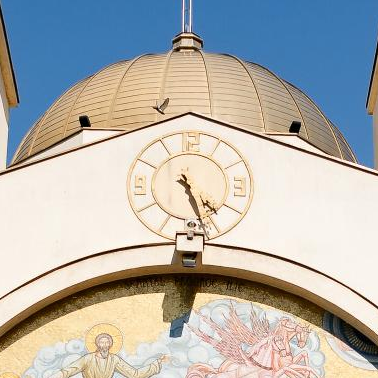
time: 4:26
